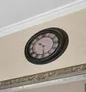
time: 10:29
